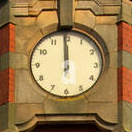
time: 11:59
